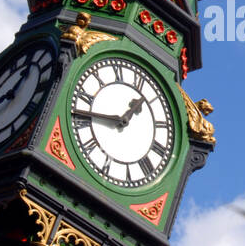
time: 1:46
